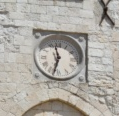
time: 11:32
